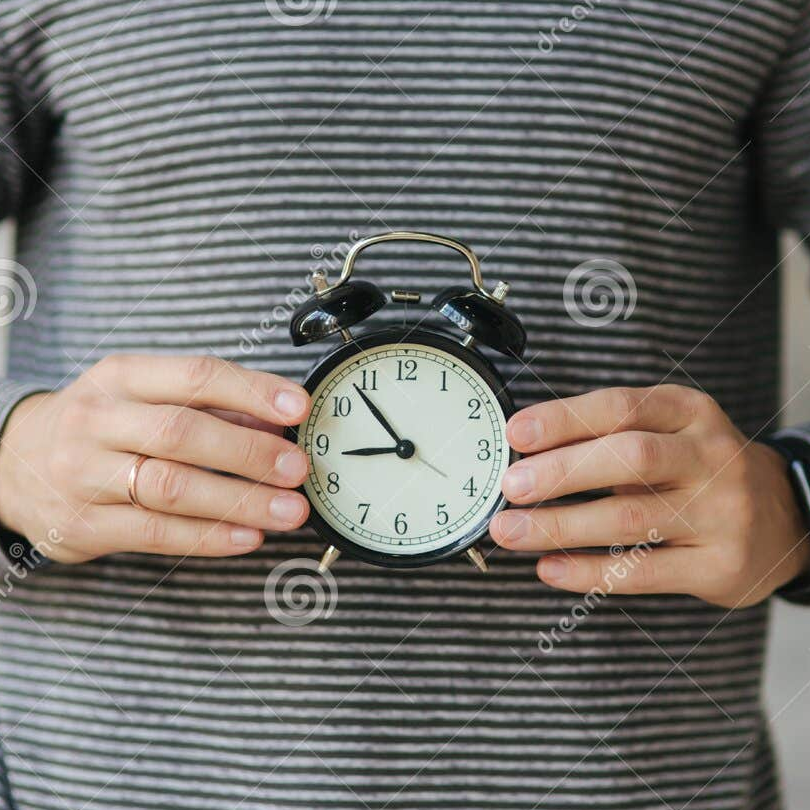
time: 8:53
